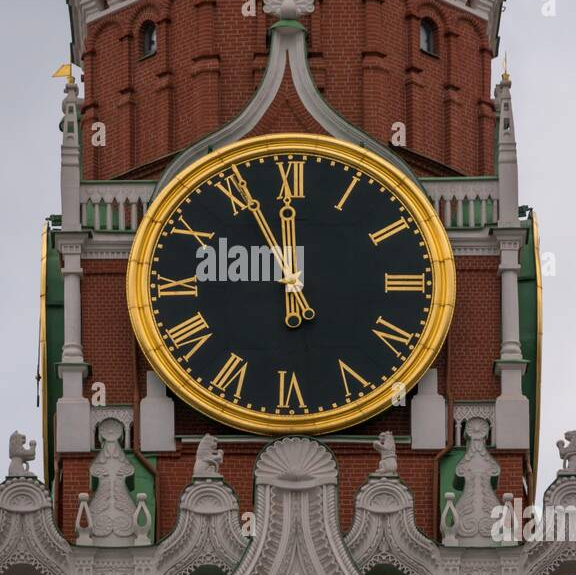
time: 11:55
